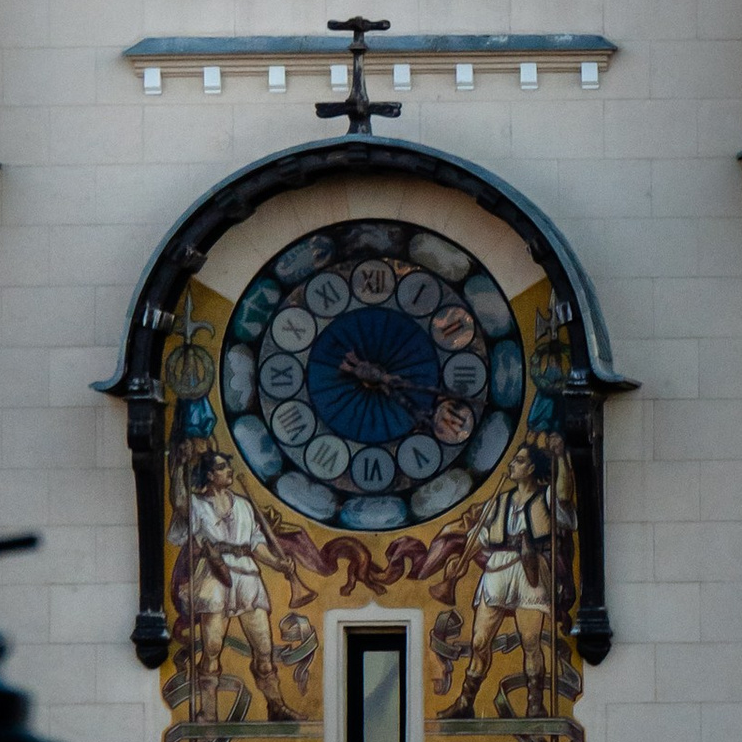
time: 12:18
